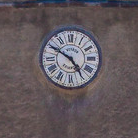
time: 4:50
